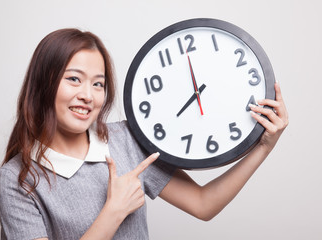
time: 7:59
